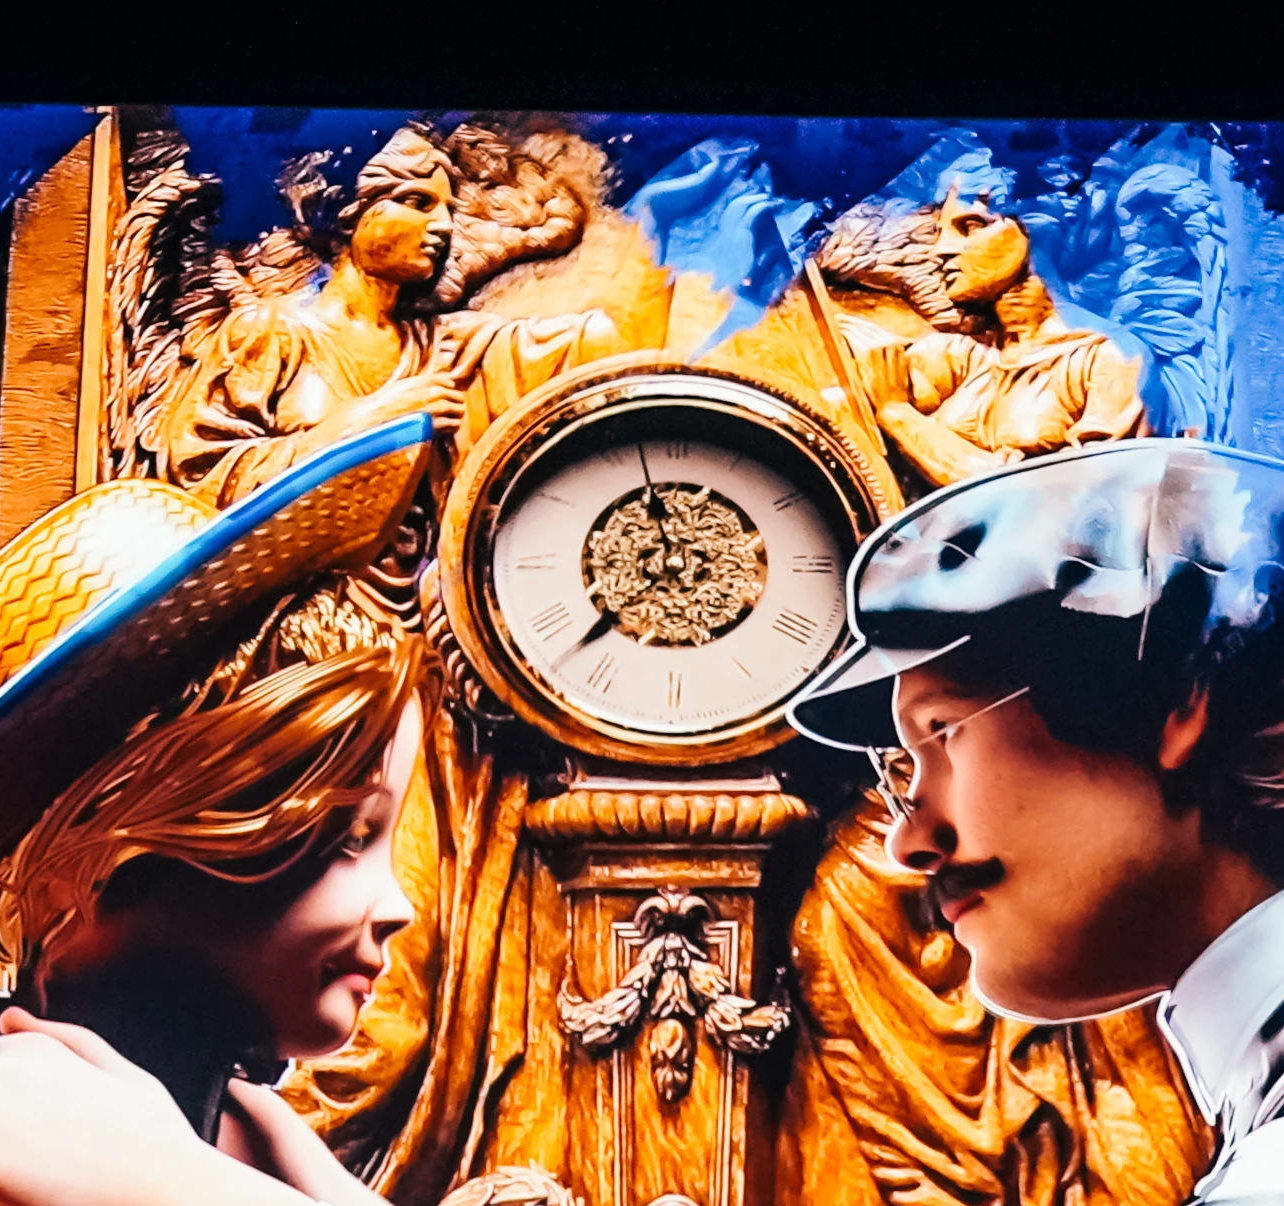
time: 11:37
